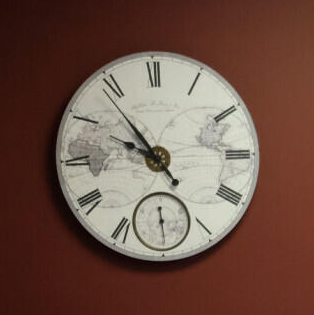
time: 9:53
